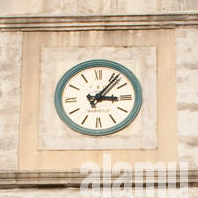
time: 3:06
